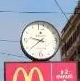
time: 9:38
